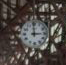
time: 3:00
